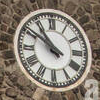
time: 10:50
